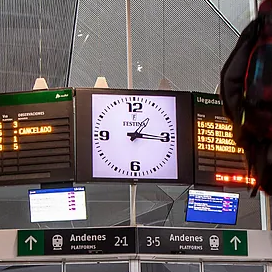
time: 1:16
